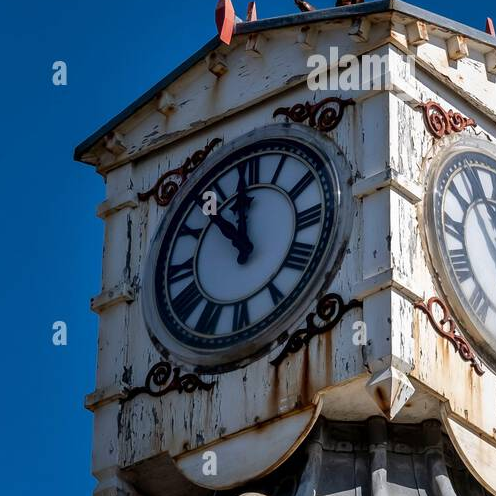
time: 11:53
